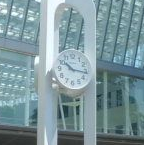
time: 10:15
